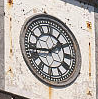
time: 1:43
